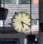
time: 5:18
